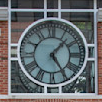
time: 1:24
